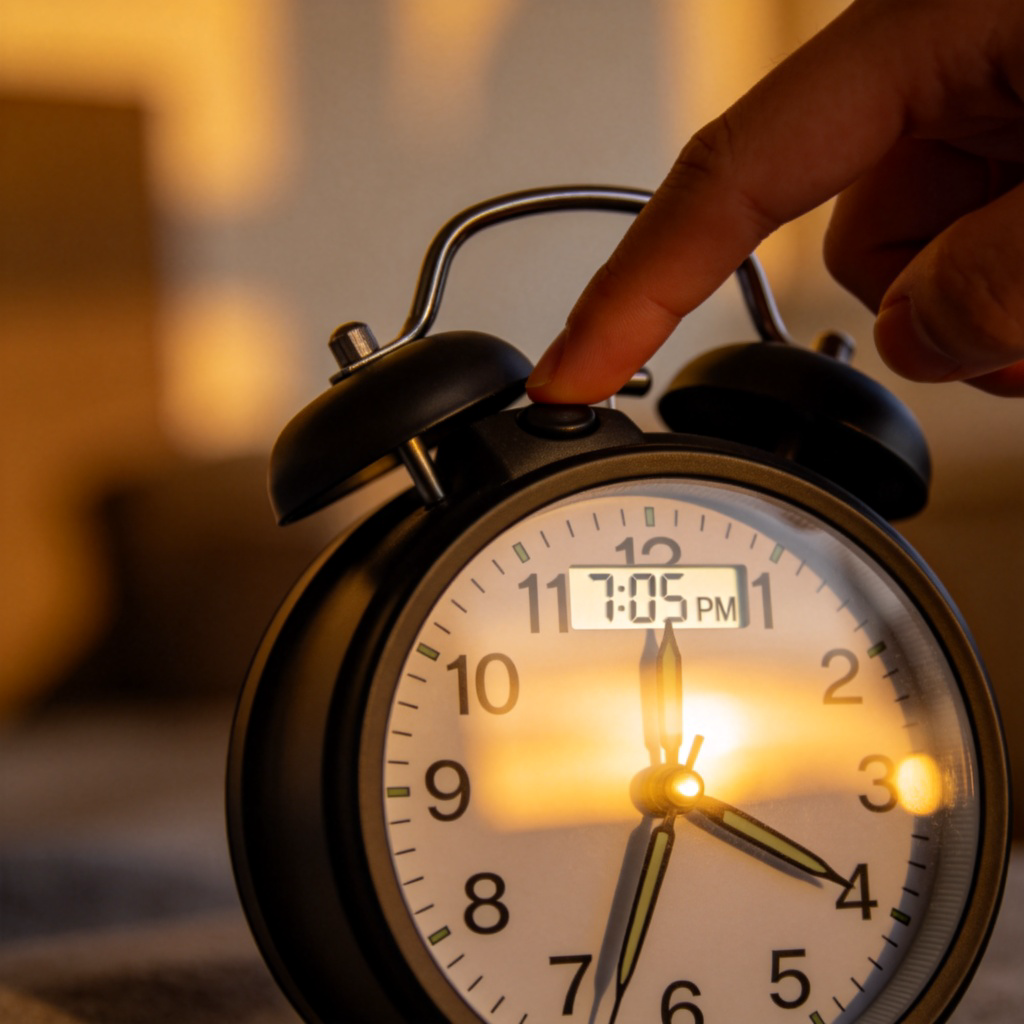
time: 3:33
